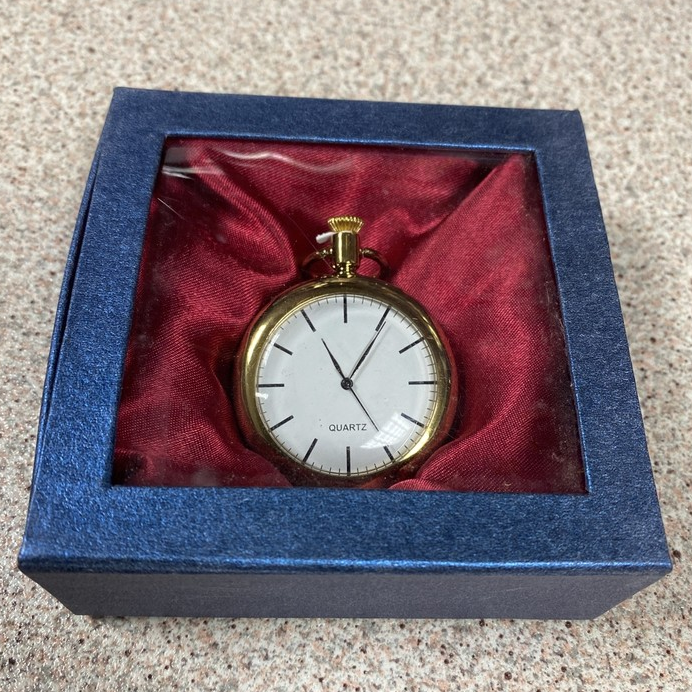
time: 11:05
